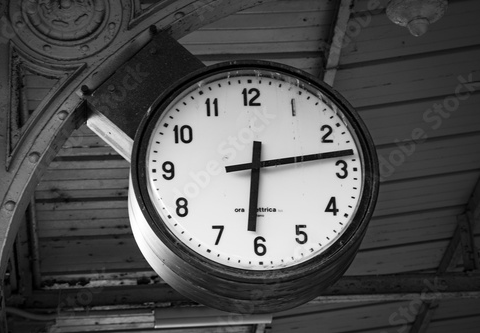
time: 6:13
